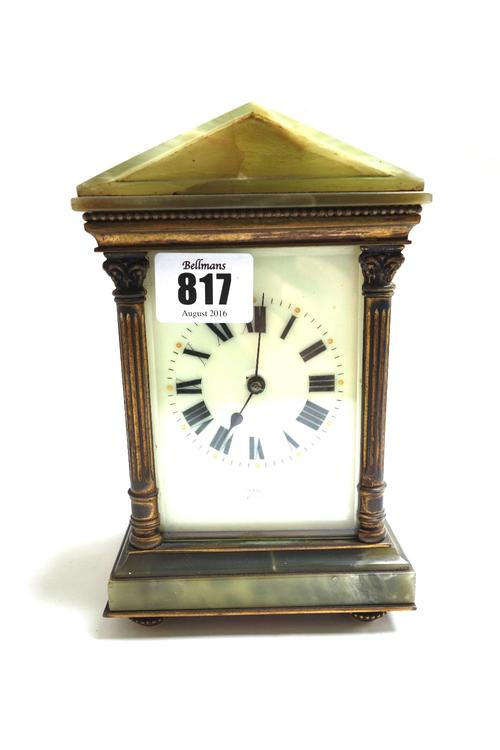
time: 7:01
